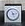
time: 11:12
